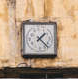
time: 1:22
